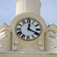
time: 4:01
